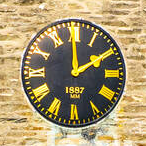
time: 1:59
